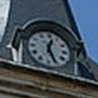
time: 12:26
